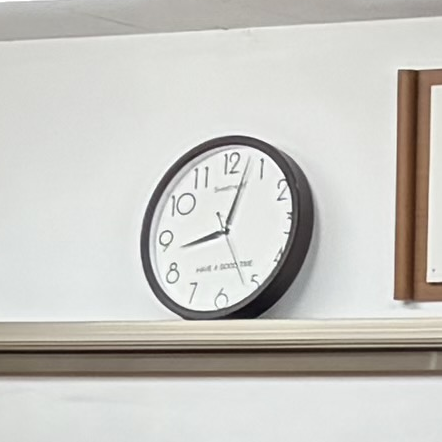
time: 9:02
